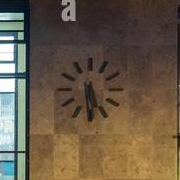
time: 5:30
